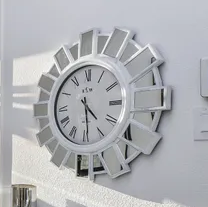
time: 4:29
